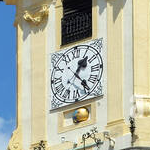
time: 1:23
